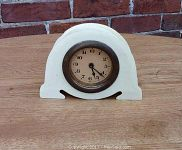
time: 5:21
